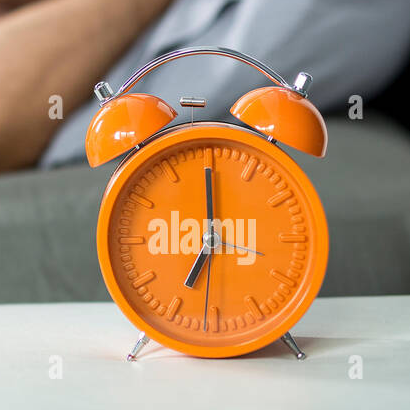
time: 7:00
